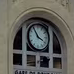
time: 3:54
